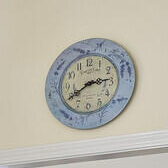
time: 2:40
